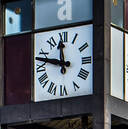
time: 11:47
